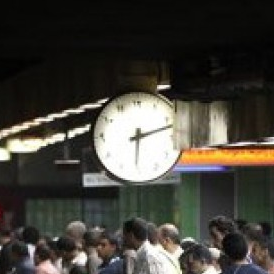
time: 6:12
